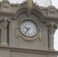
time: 9:35
